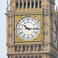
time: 10:15
